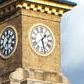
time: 1:27
